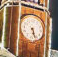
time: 5:26
